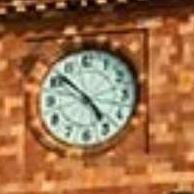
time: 4:52
